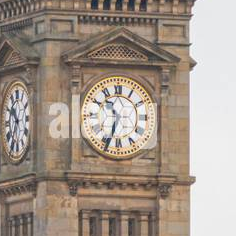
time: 10:33
